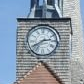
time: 2:40
